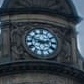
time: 2:48
